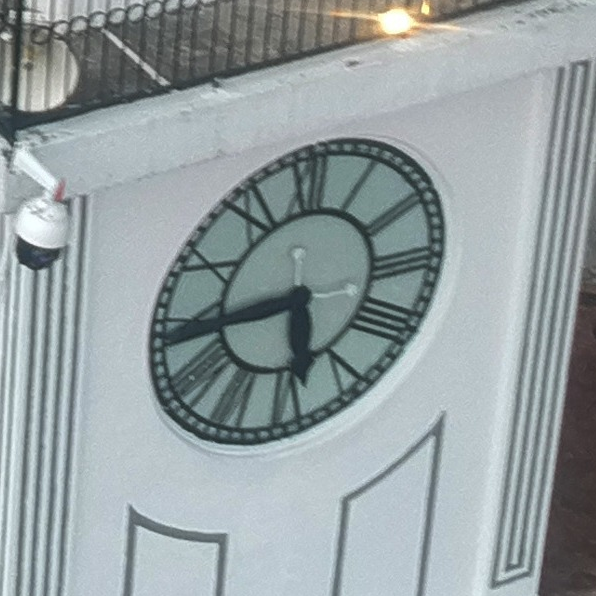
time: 5:44
